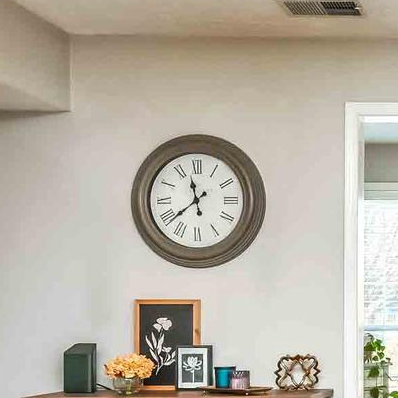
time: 11:38
